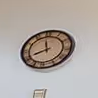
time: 11:41
